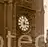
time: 3:02
